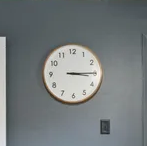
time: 3:14
